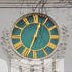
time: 12:33
